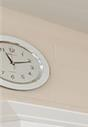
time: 11:11
